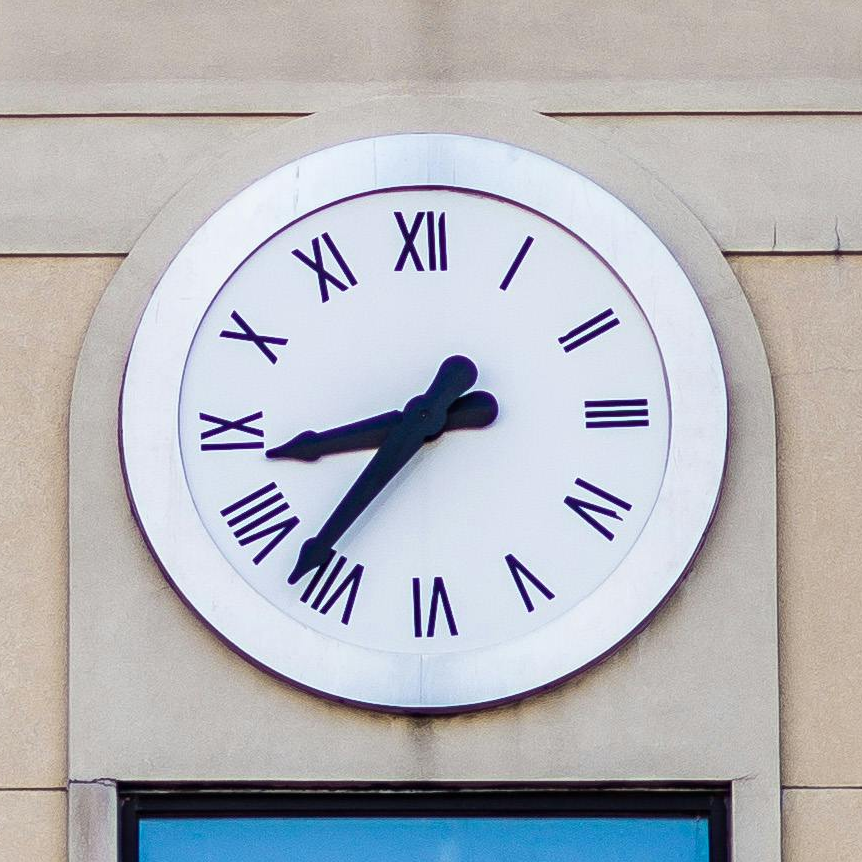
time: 8:36
